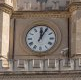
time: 12:04
